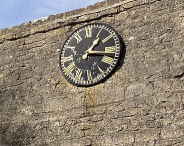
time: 1:16
